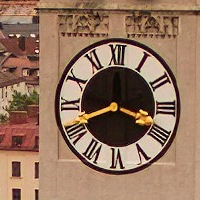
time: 3:41
